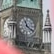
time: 11:21
